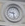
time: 9:28
